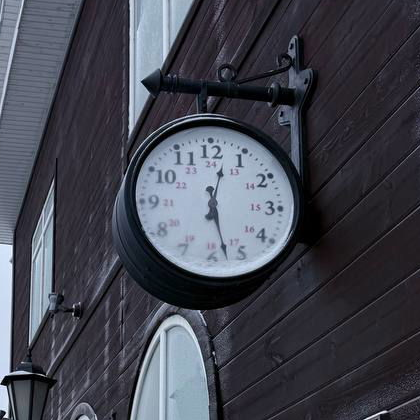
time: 12:27
